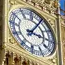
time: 3:05
